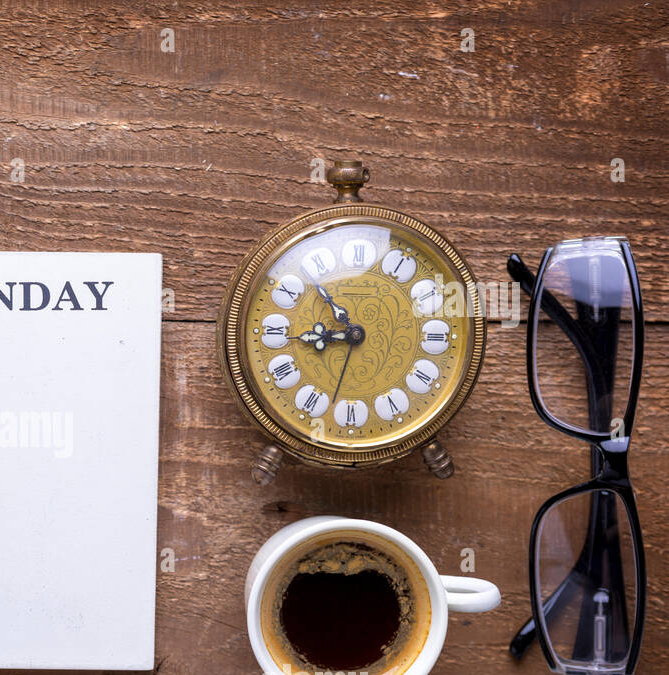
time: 8:53
